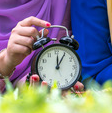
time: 12:05
